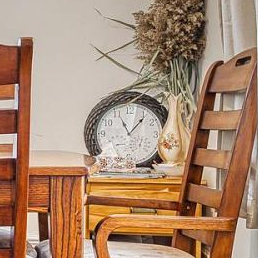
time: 11:07
